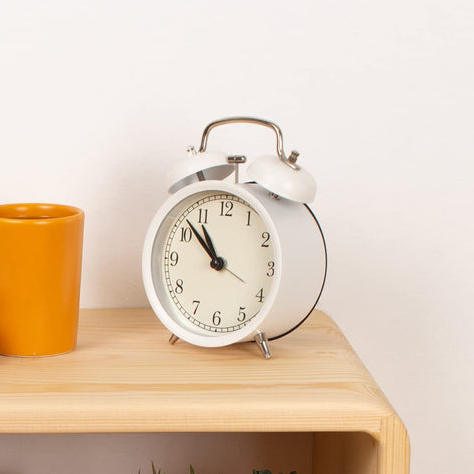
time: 10:51
